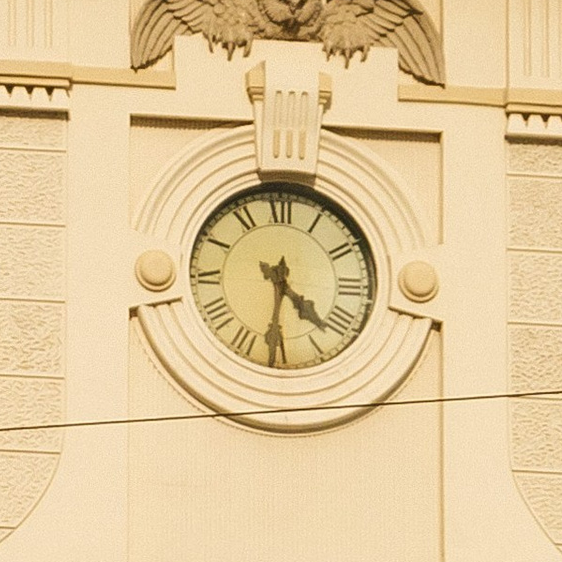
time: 4:31
